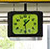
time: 1:29
